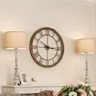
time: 10:15
